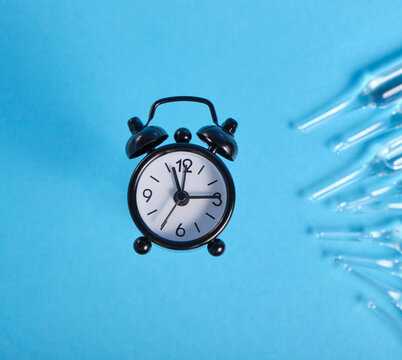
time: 11:14
